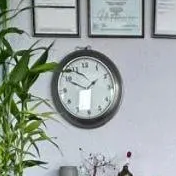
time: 1:49
